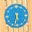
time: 5:32
